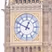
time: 12:49
